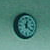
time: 12:21
